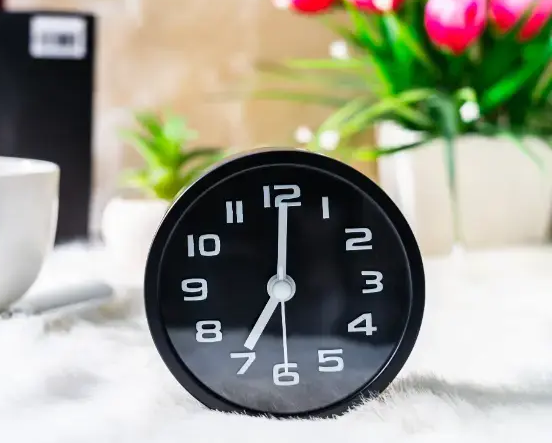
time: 7:00
